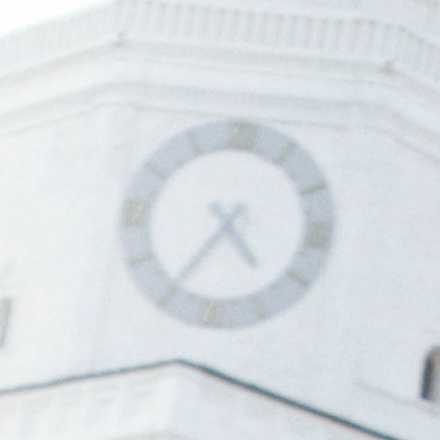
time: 4:35
